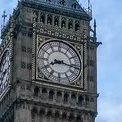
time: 8:16
